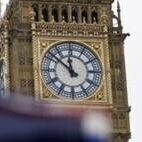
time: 11:51
